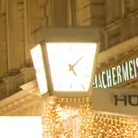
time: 5:07
